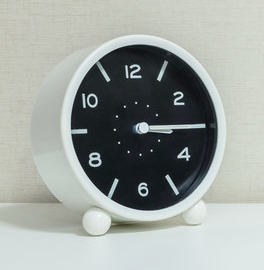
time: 3:14
